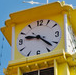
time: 9:22
